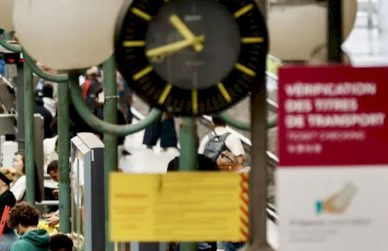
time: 10:42
